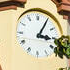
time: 3:05
